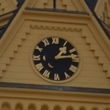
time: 1:13
